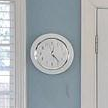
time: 12:23
